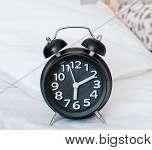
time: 6:10
